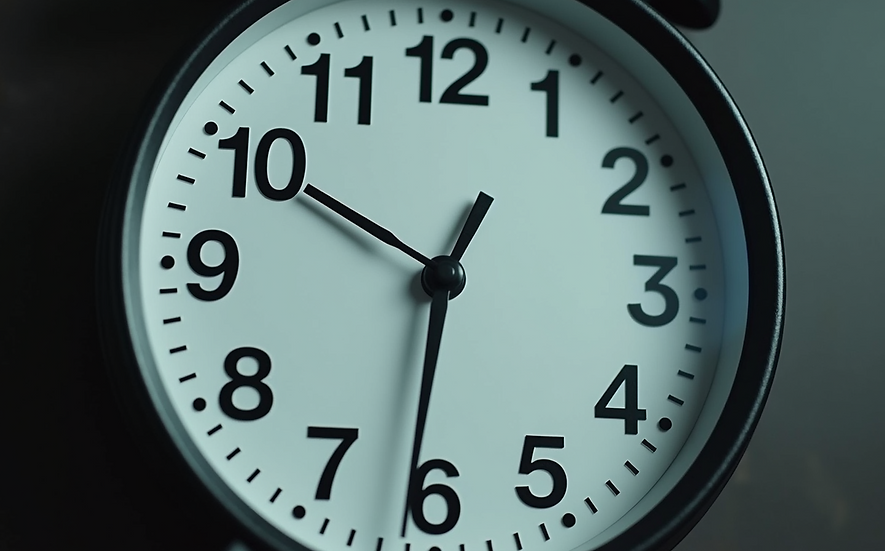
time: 12:49
